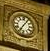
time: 7:06
